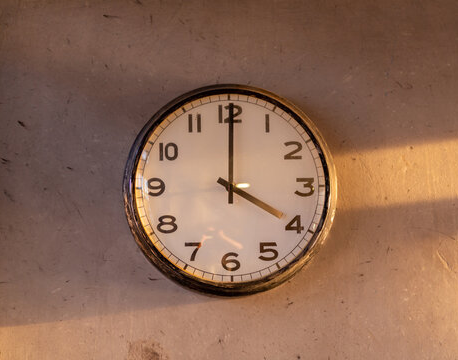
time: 4:00
